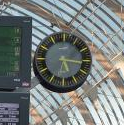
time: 5:16
